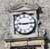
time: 9:14
